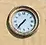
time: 7:37
